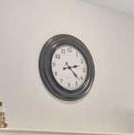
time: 2:22
